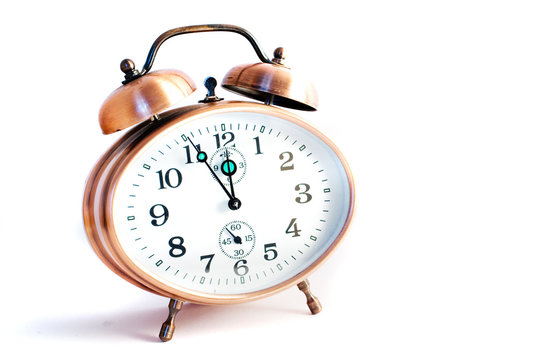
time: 11:55
